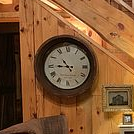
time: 10:45
